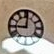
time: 9:01
